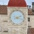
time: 2:18
